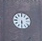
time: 5:30
